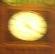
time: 4:20
